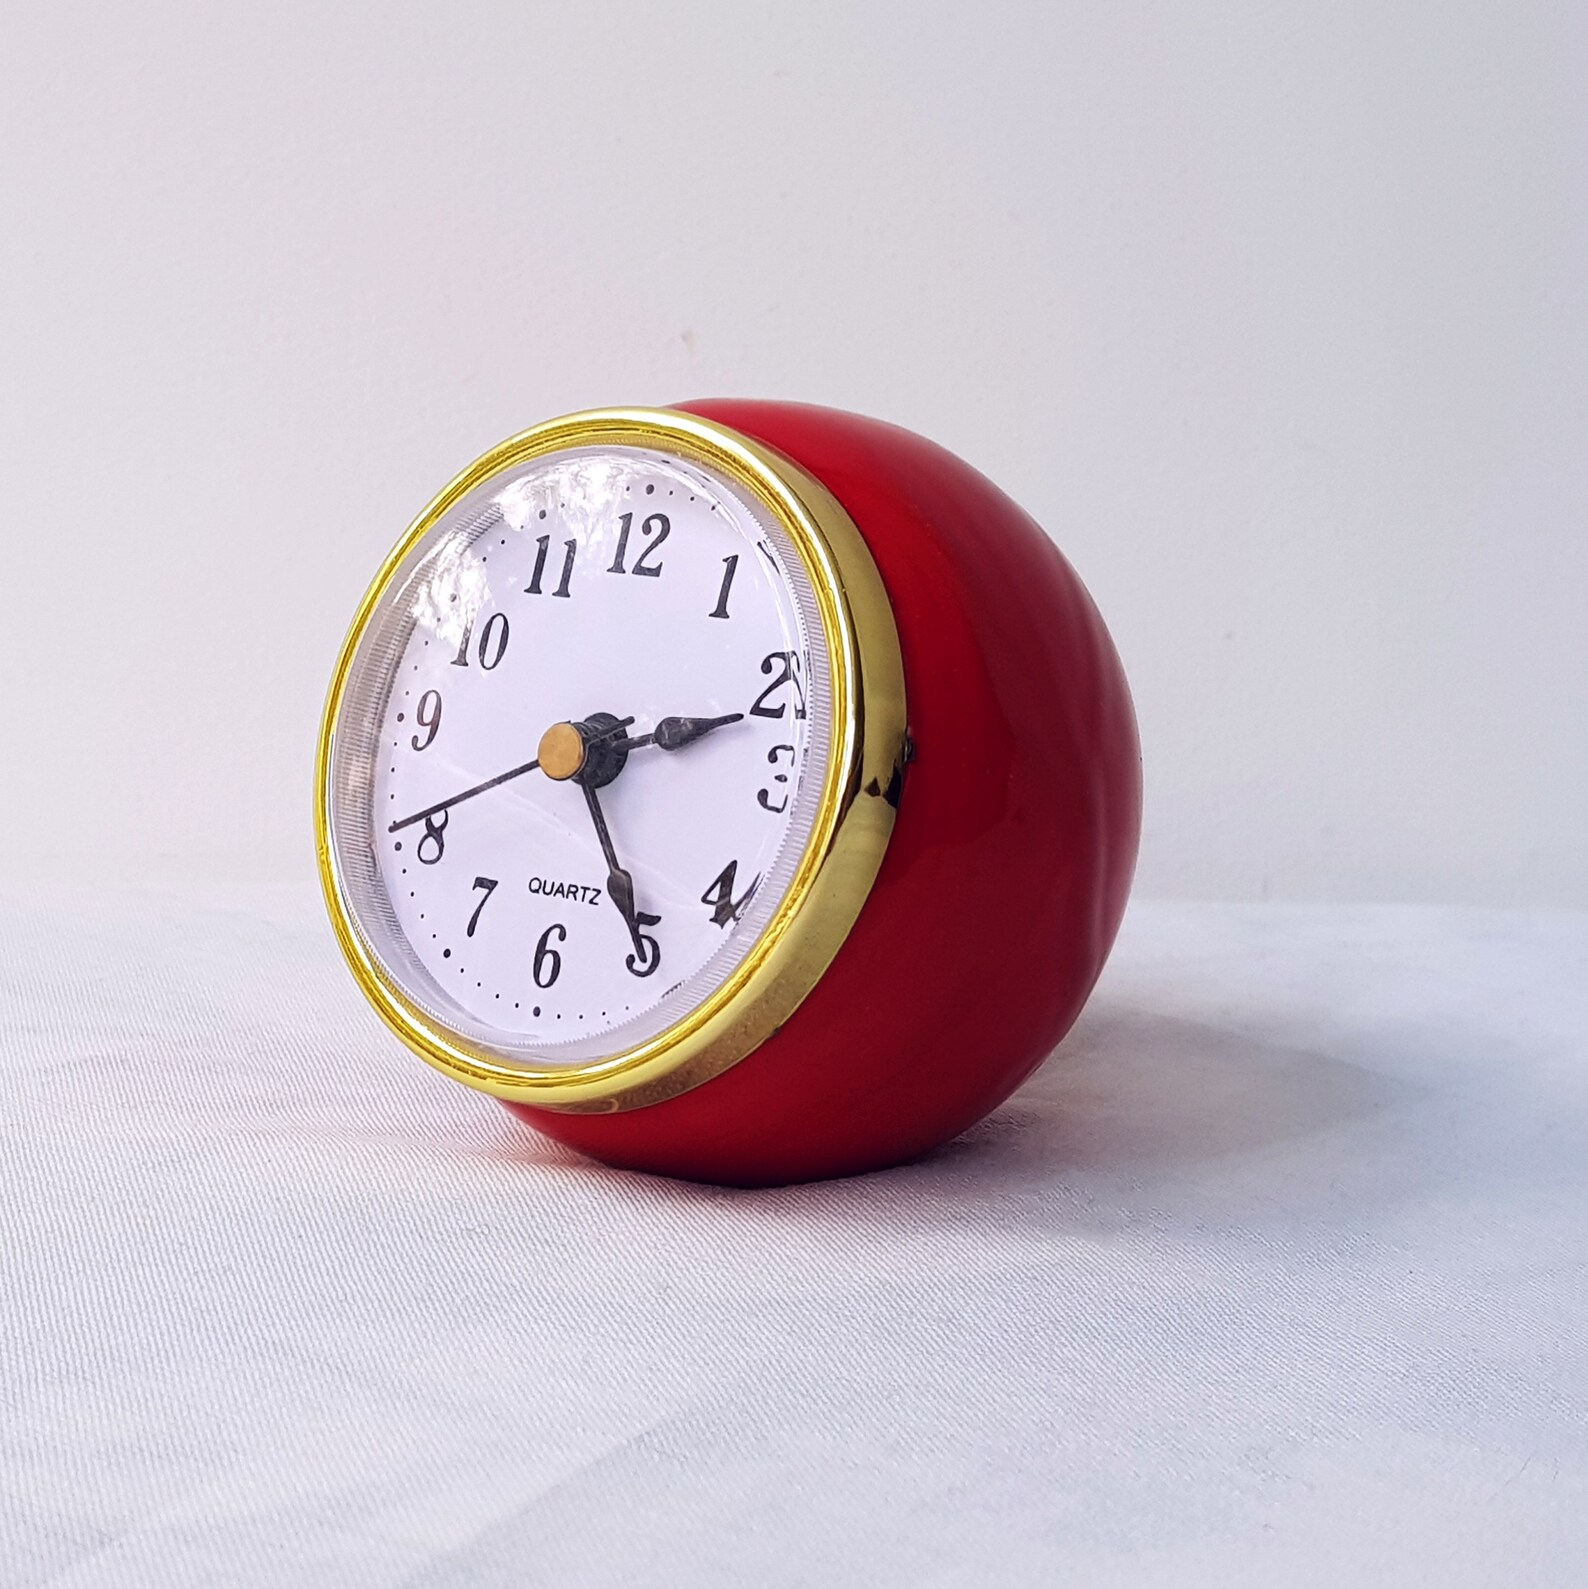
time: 2:24
